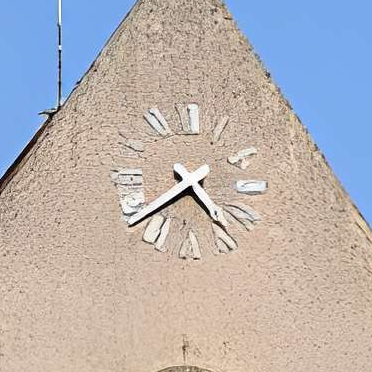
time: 4:38
